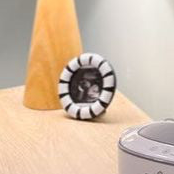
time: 6:10
